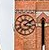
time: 2:18
